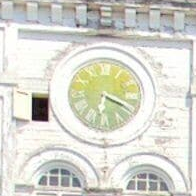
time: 6:18
